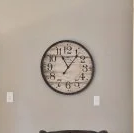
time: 11:06
